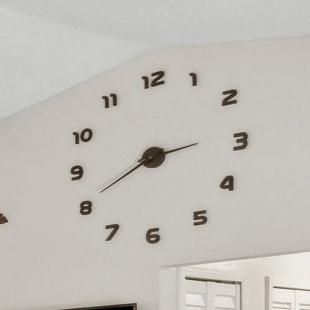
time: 2:40
